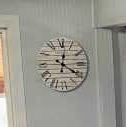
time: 4:02
